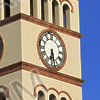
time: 6:28
